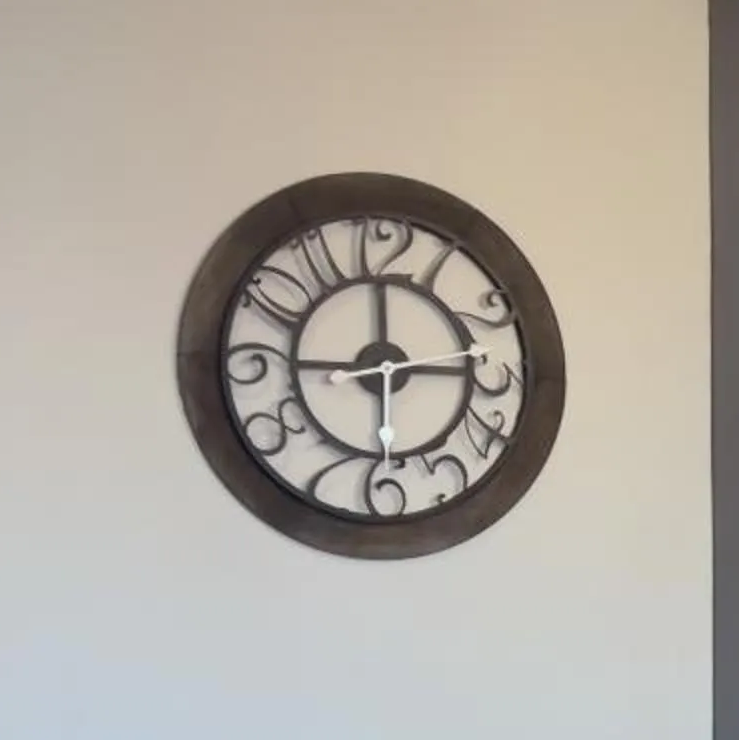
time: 2:59
